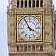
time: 3:55
